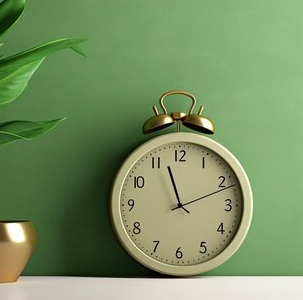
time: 11:11
